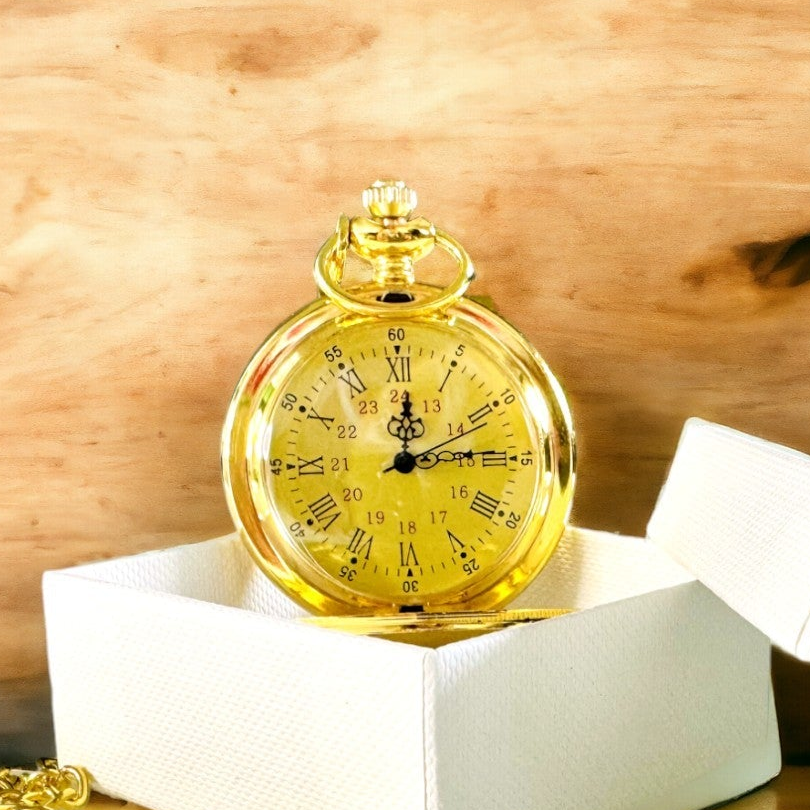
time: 12:13
